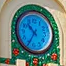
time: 10:34
